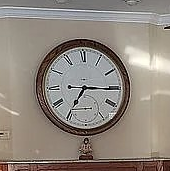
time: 7:15
